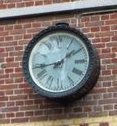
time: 1:43
